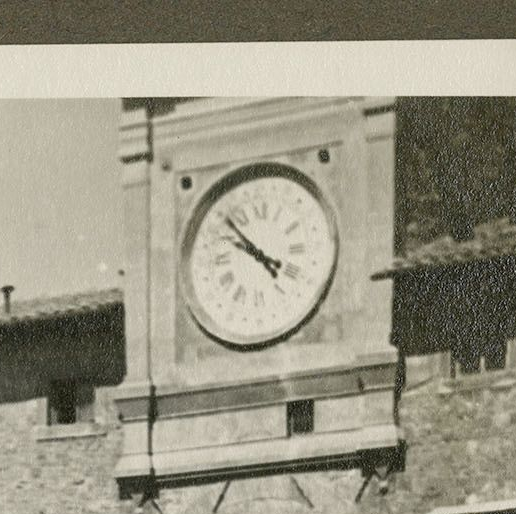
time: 9:52
